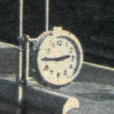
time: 2:45
